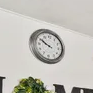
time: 9:50
